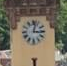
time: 3:02
